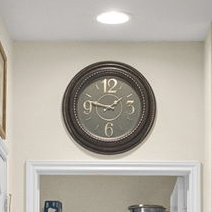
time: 1:47
